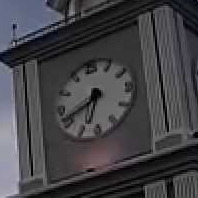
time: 6:41
